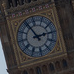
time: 2:56
